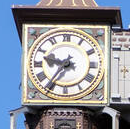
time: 9:36
